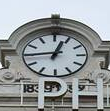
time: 12:44
